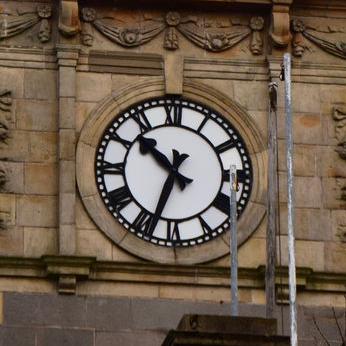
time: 10:33
